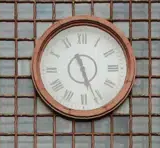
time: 5:26
